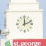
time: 12:11
